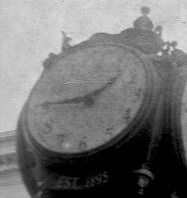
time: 1:45
